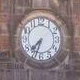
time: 7:33
